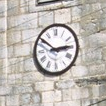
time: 2:51
